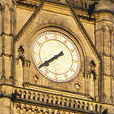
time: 7:39
